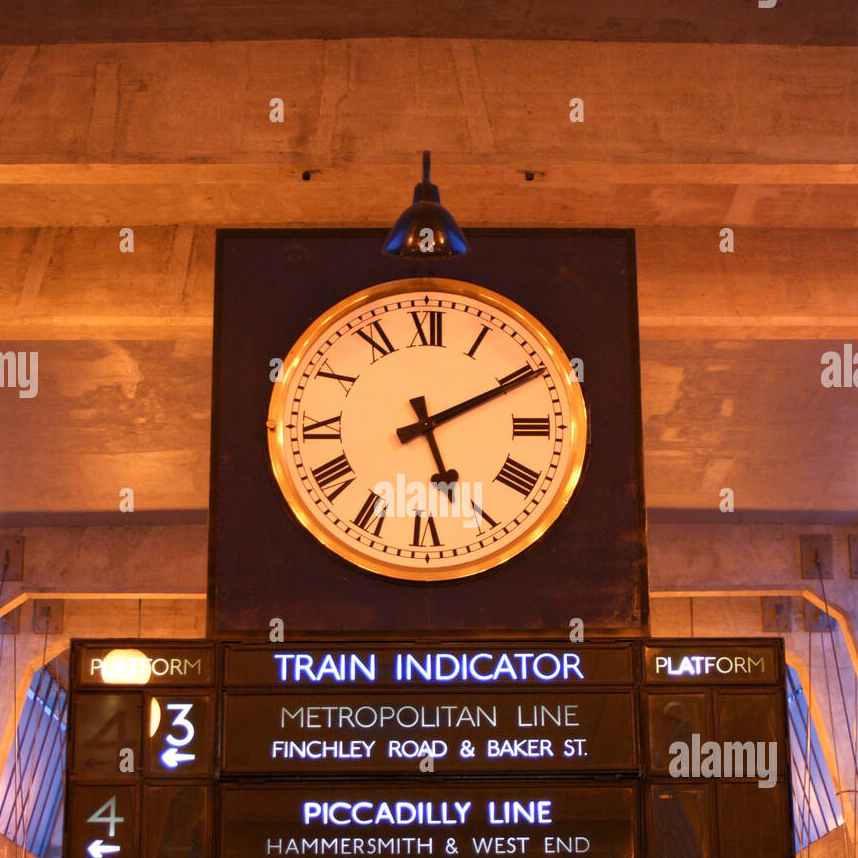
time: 5:10
